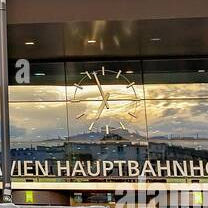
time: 2:57
